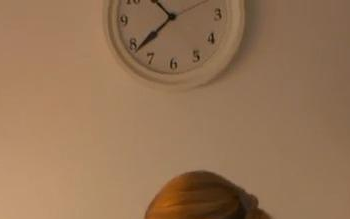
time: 10:38
